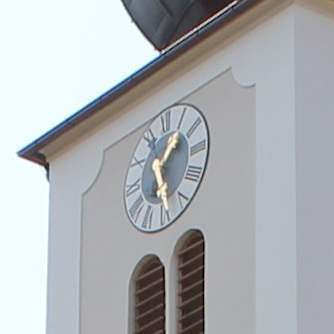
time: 1:24
